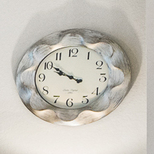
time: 9:50
